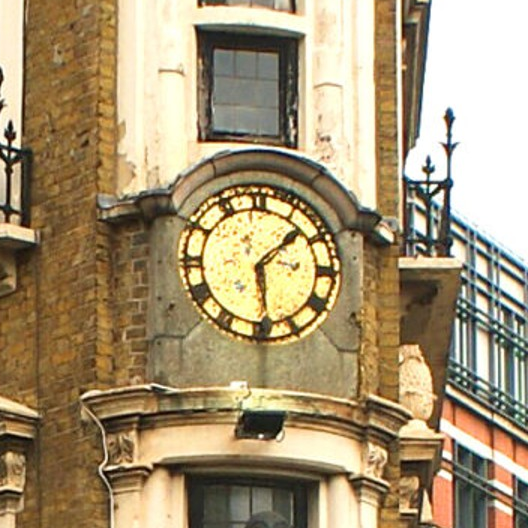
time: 1:28
